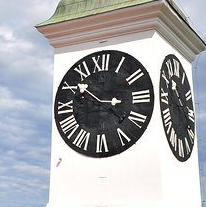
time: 3:22
